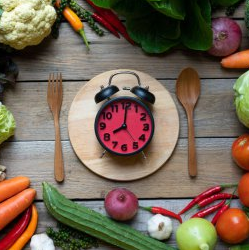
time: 8:01
